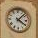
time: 4:07
